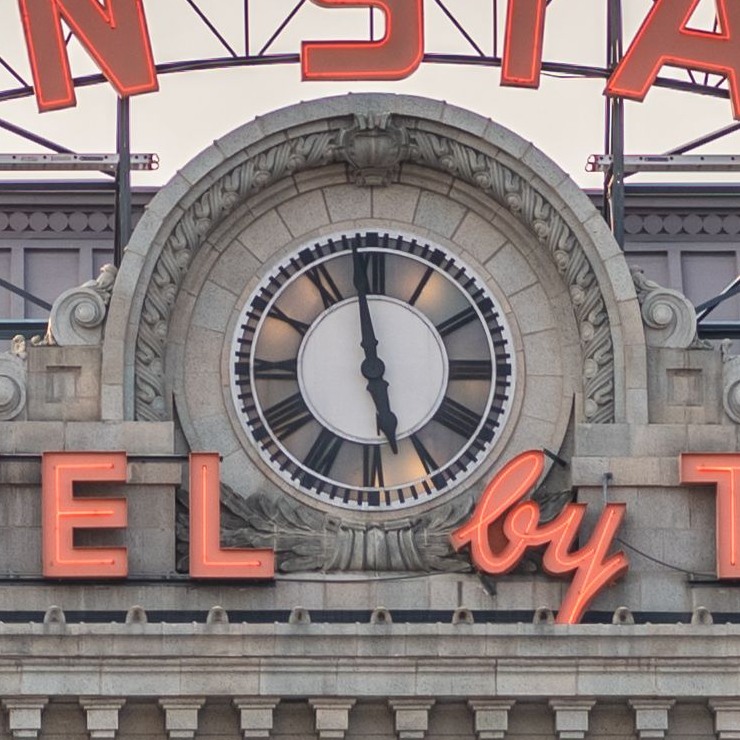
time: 5:58
